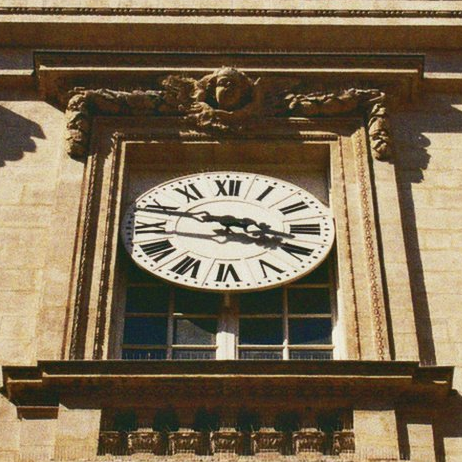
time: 3:47
